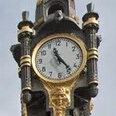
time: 11:23
